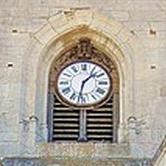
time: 1:32
